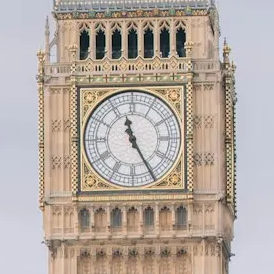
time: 11:25
